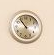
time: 10:53
